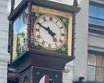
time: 4:49
